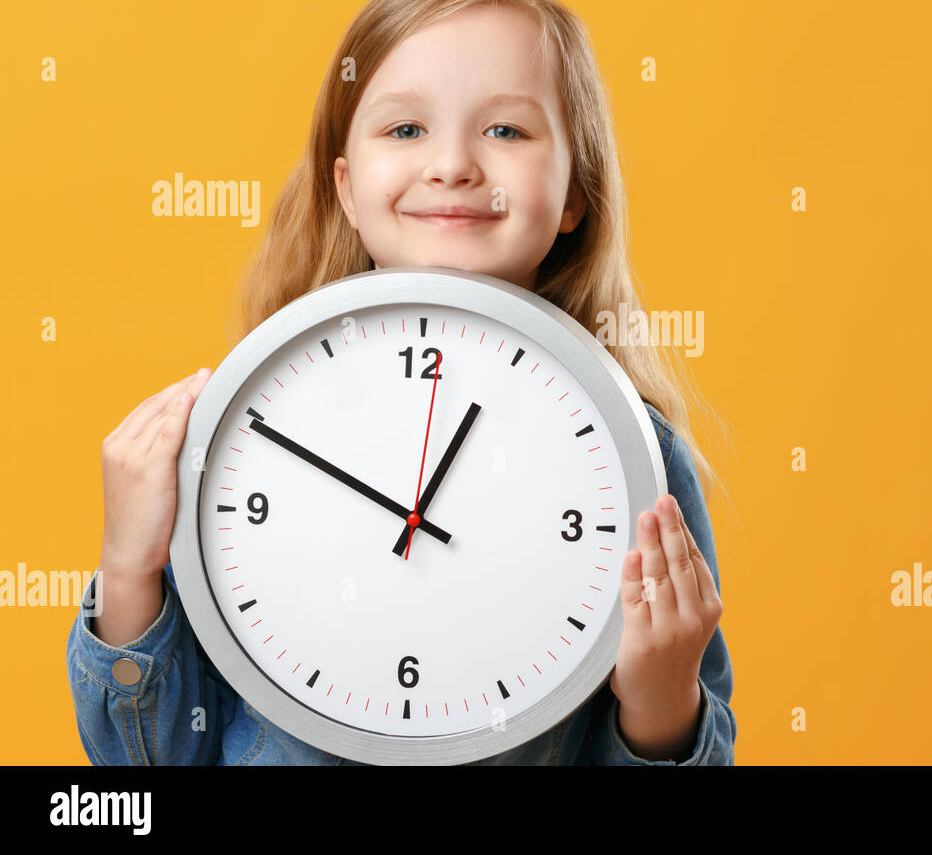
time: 12:49
